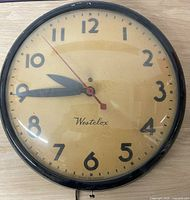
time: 9:44
